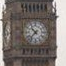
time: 10:37
